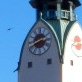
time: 2:40
